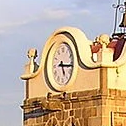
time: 5:15
